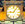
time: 9:07
